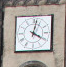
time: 4:02
